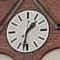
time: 1:32
